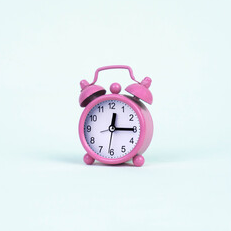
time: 12:15
